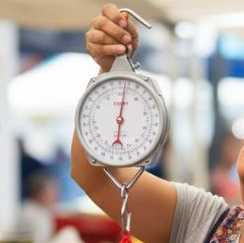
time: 6:01
